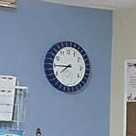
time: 7:44
